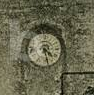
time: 4:28
